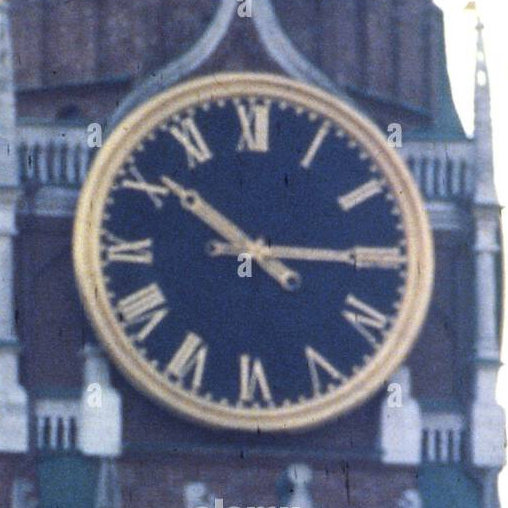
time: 10:14
